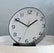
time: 1:50
